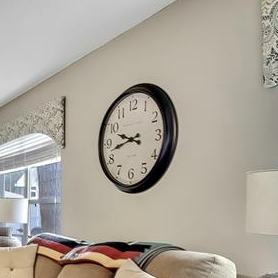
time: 9:42
